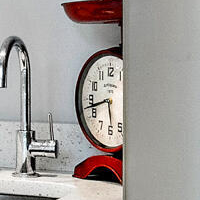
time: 5:42
